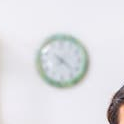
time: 7:22
